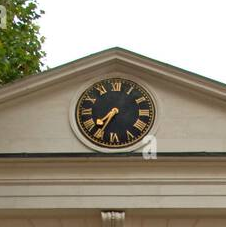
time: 7:34
